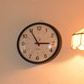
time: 2:54
